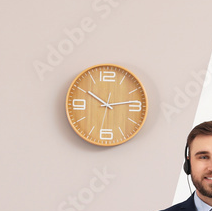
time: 10:13
